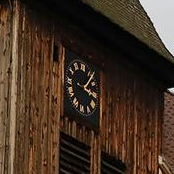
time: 3:06
